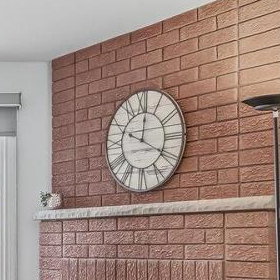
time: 10:01
